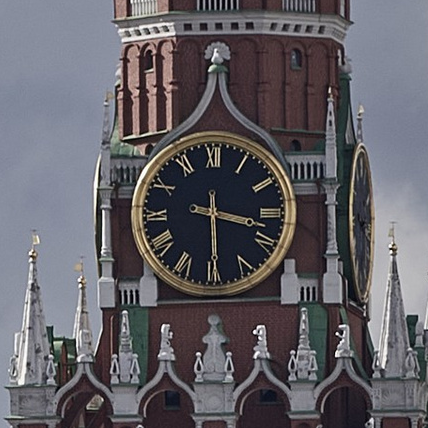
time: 3:29
